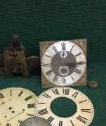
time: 3:15
